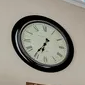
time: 6:35
